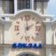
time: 1:59
